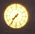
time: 7:36
